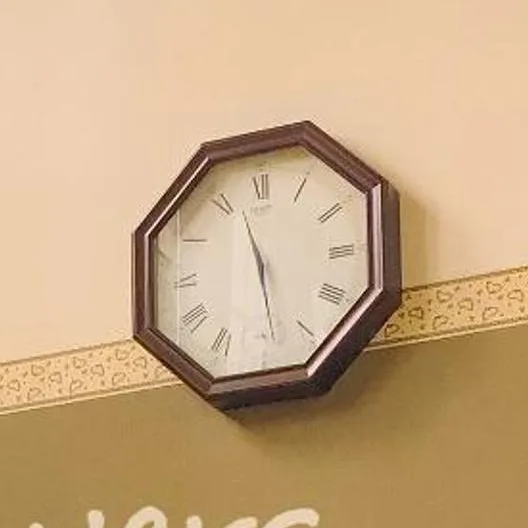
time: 11:28
